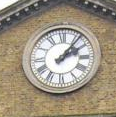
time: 2:06
